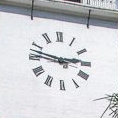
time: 2:47
